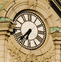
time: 6:37
